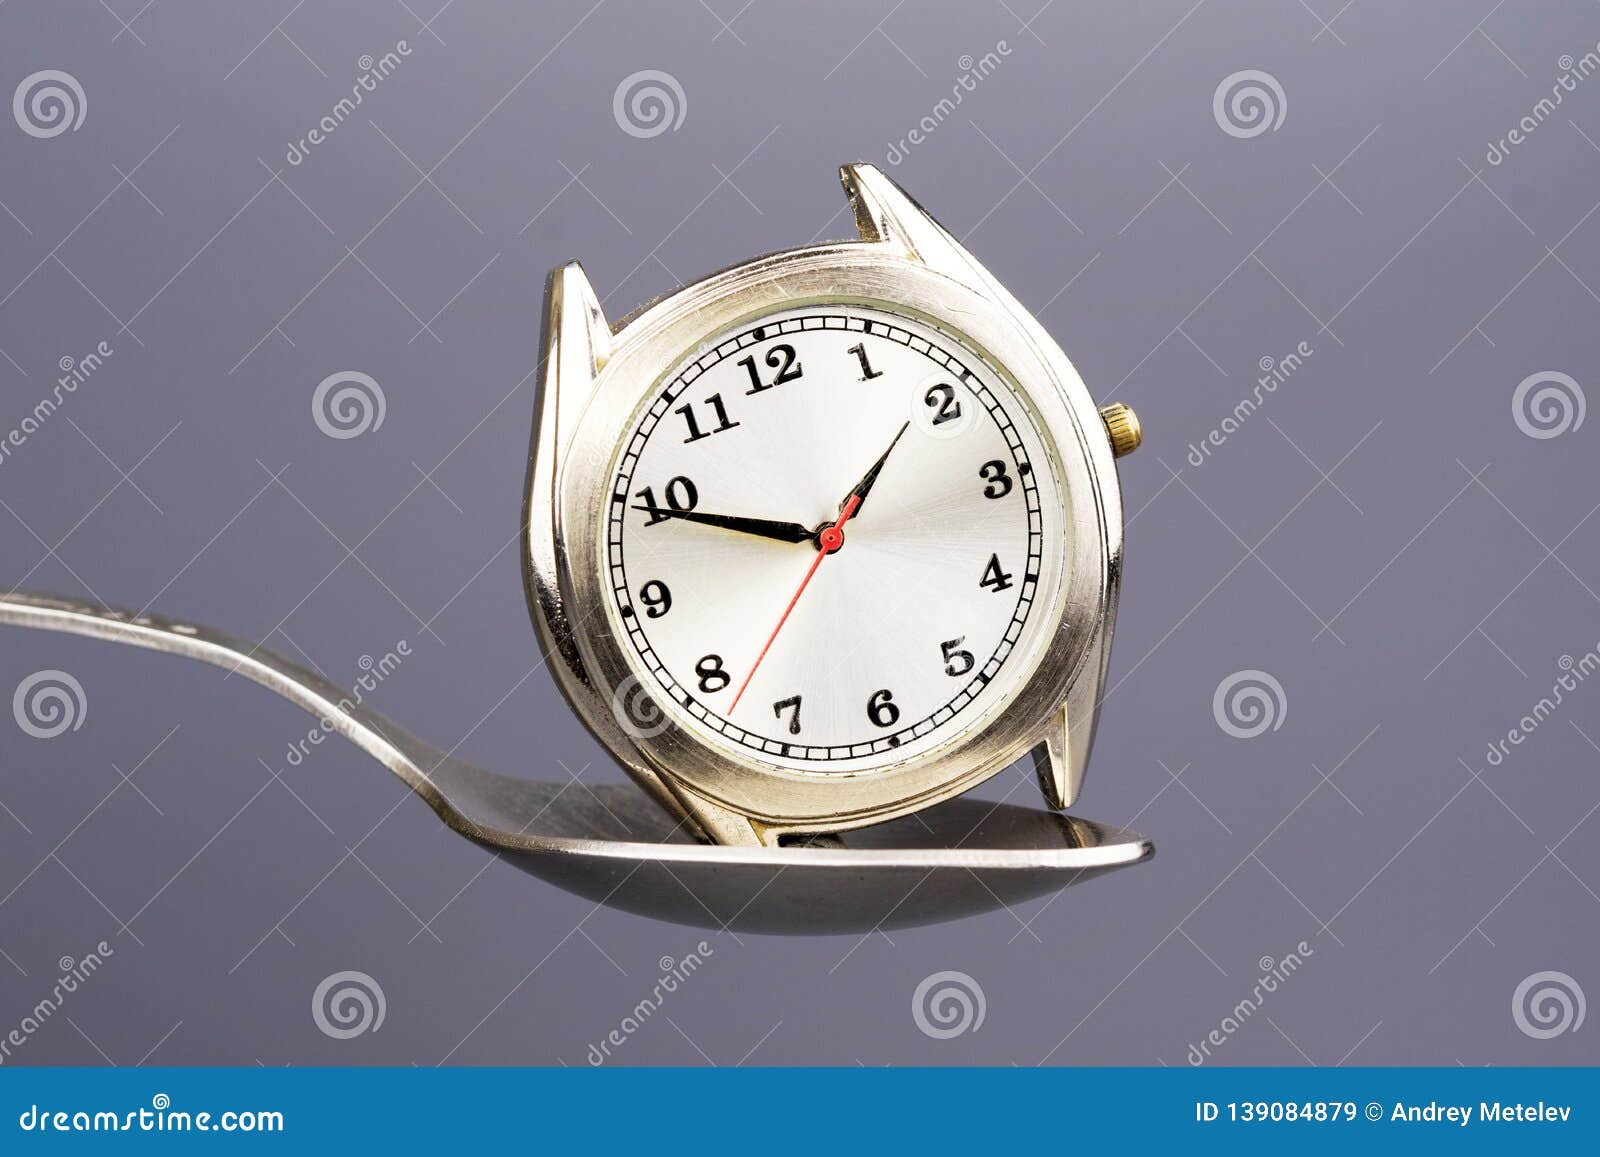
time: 1:49
